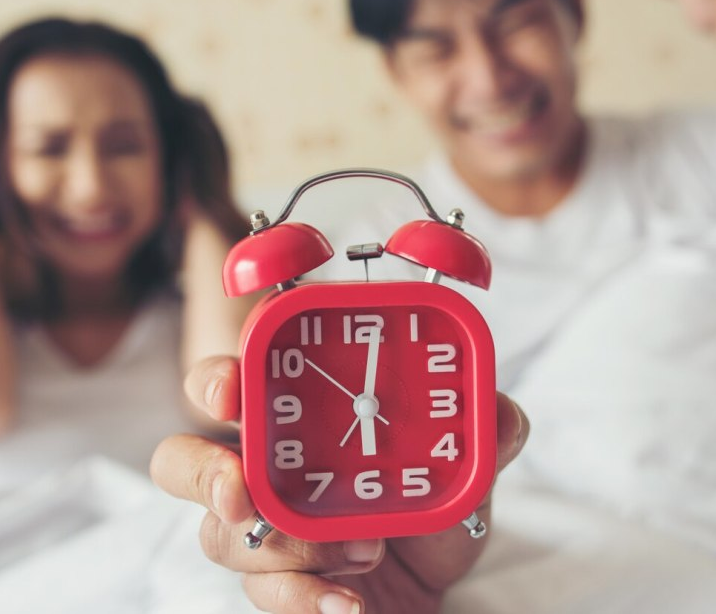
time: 6:01
